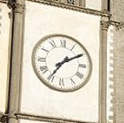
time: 7:09
